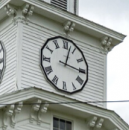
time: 3:02
